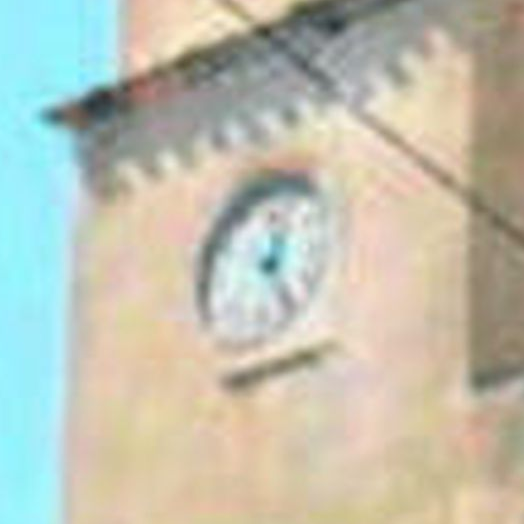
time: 12:24
